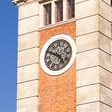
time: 4:49
